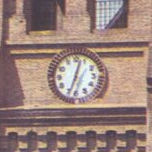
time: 12:33
